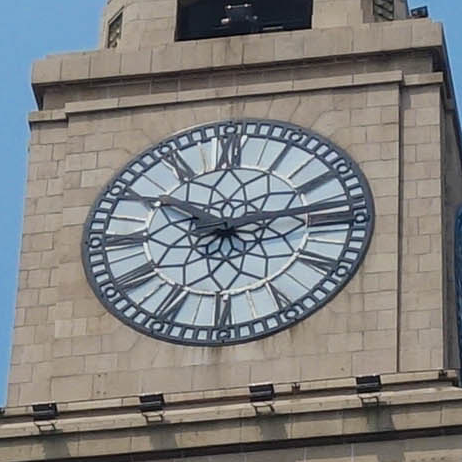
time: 10:12
